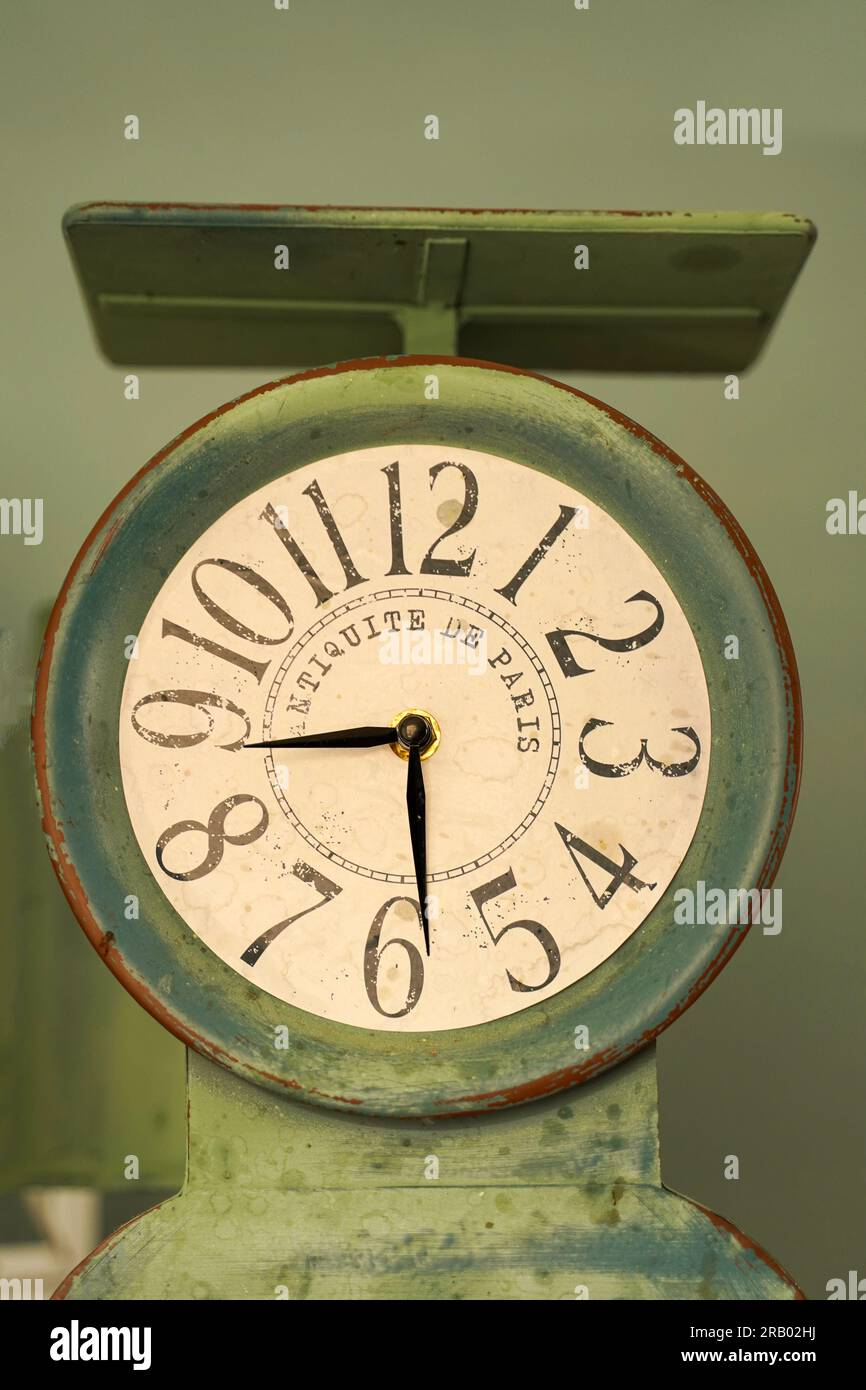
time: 8:28
